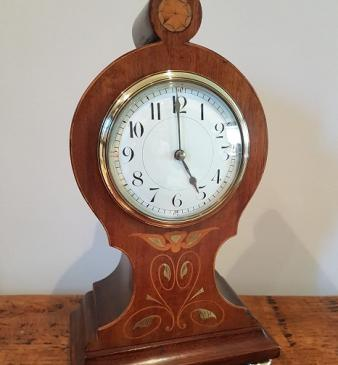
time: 4:59
